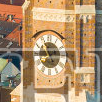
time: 11:13
